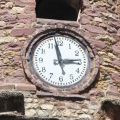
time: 2:58
